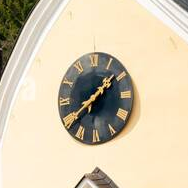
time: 1:39
